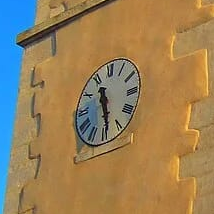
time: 11:29
